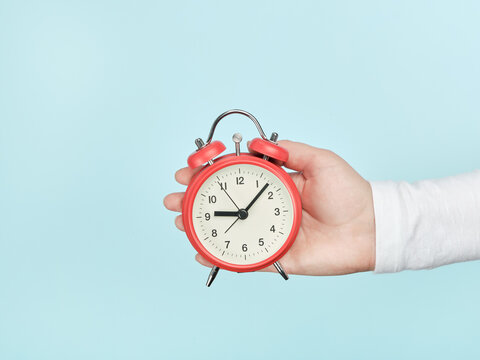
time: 9:07
